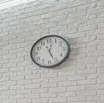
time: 12:26
